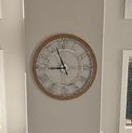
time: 8:56
